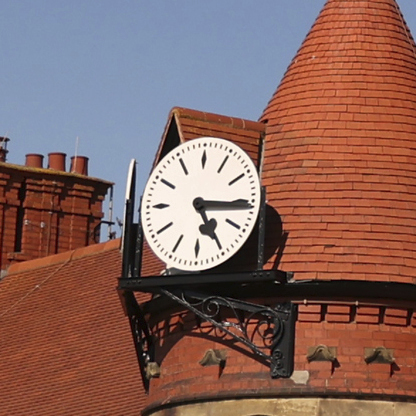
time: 5:15
